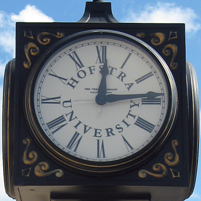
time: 12:13
